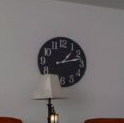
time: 1:12
